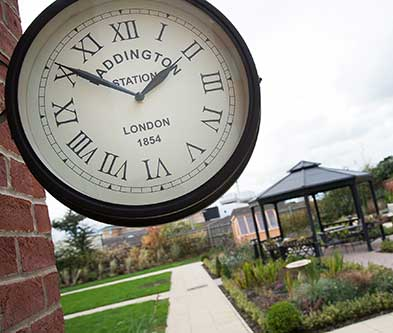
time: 1:50
